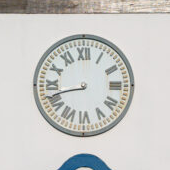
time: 8:42
